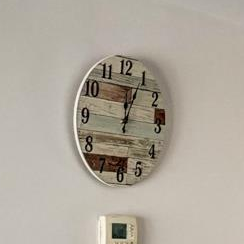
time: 12:04
